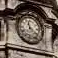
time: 11:21
